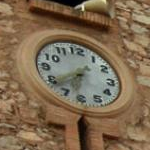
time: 6:38
